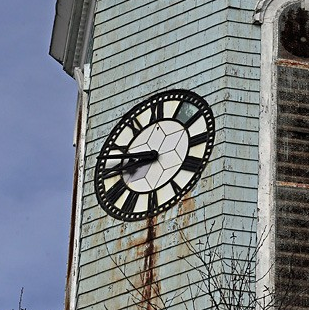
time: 8:46
